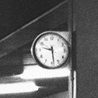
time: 9:28
